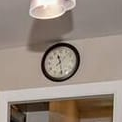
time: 11:28
